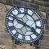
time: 3:48
